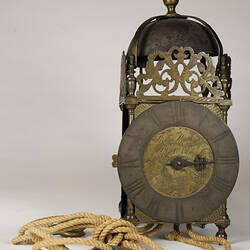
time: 3:14
